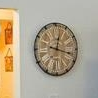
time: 12:17
